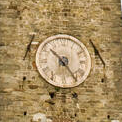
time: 10:24
